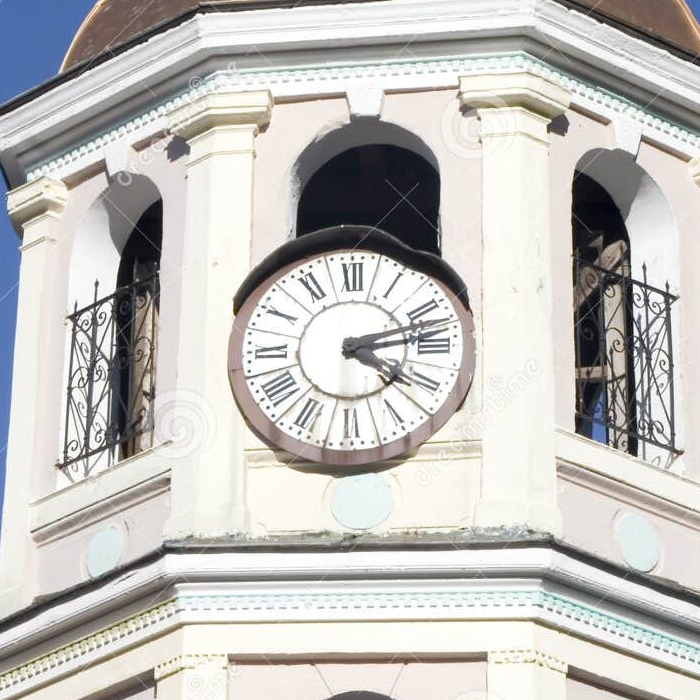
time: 4:12
